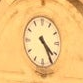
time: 4:24
